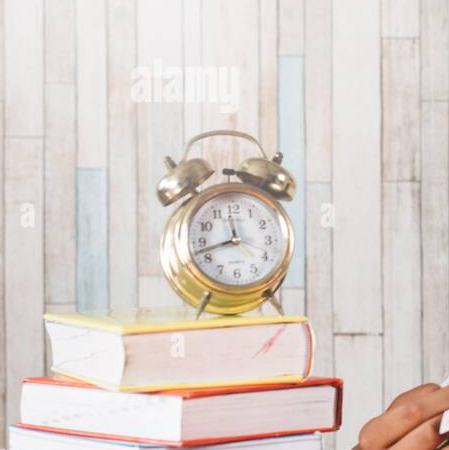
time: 11:42
